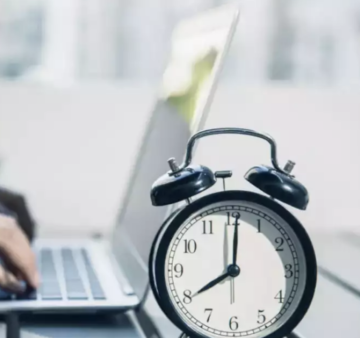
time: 8:00
